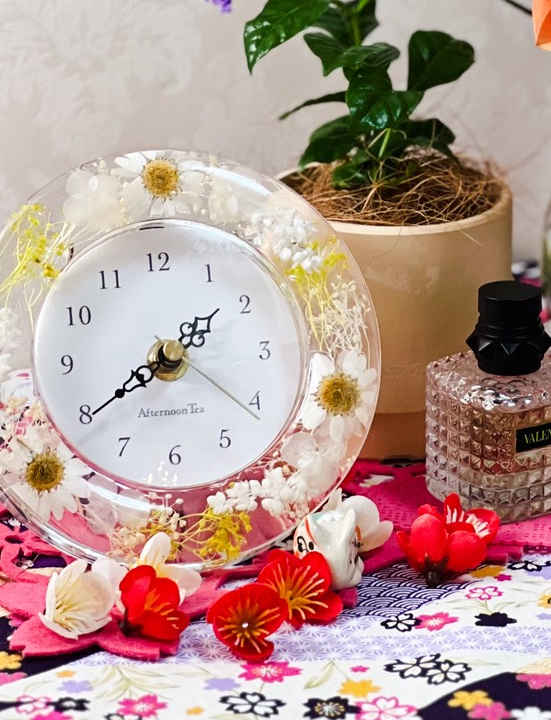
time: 1:39
